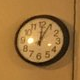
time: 12:04
